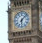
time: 6:07
